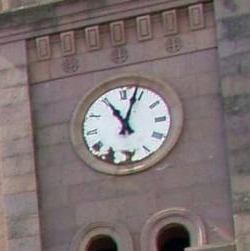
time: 11:03
